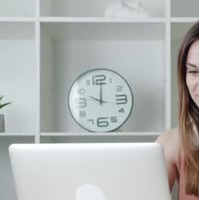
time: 10:00
